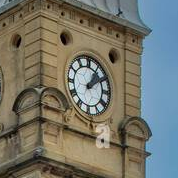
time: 1:09
